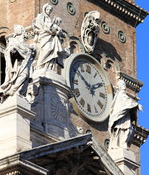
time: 1:51
